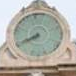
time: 7:39
